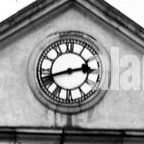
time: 2:42
